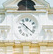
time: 10:21
